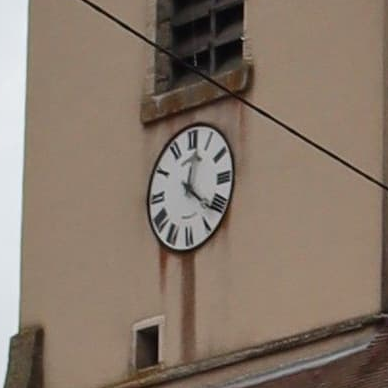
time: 12:21
